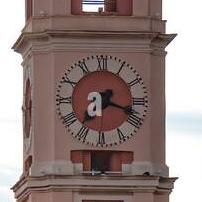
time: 7:18
